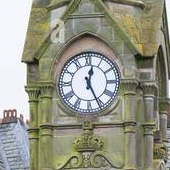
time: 12:25
